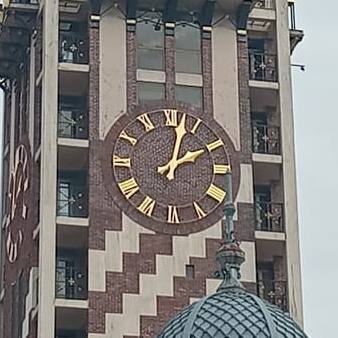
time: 2:02
